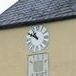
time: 10:50
